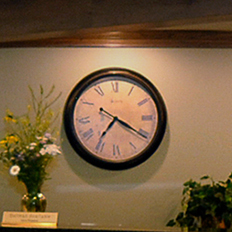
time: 7:20
